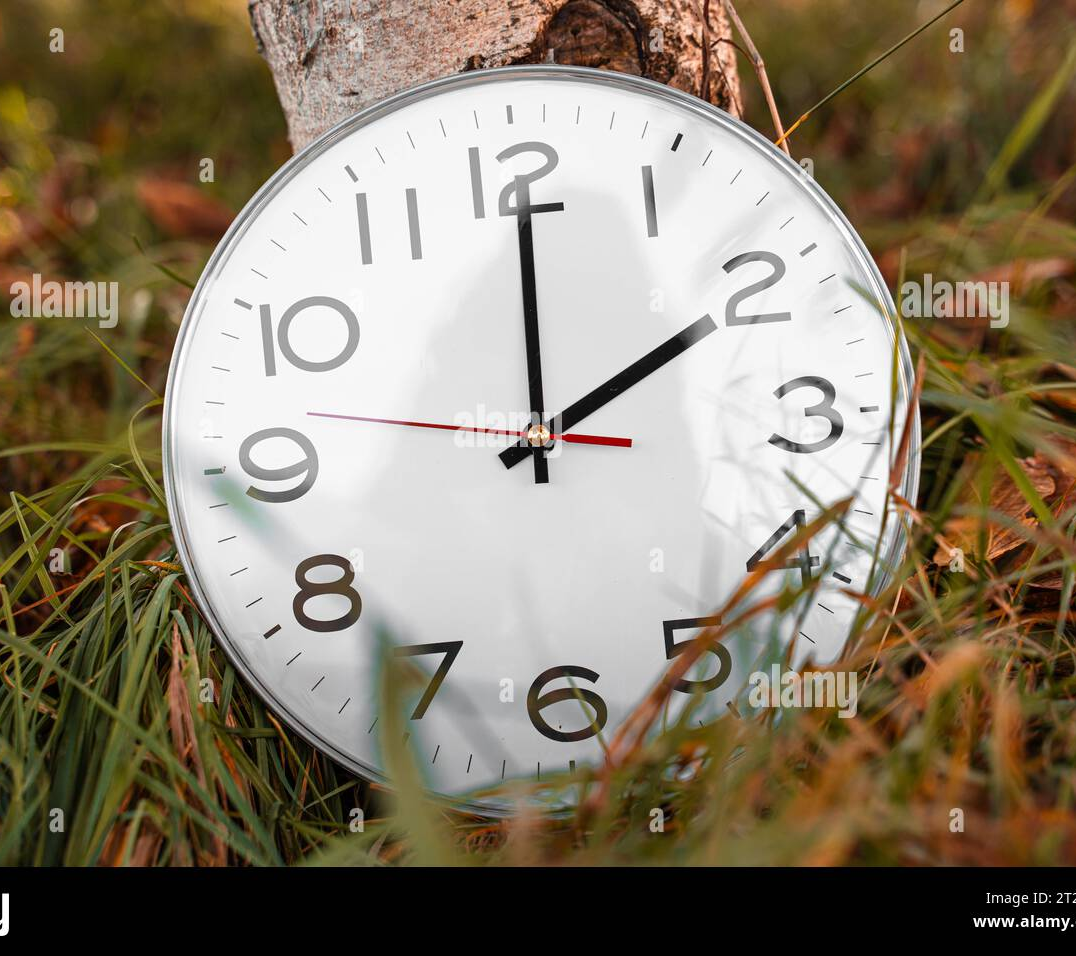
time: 2:00
